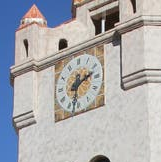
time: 2:32
